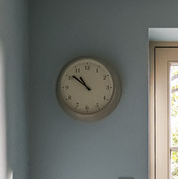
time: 10:51
